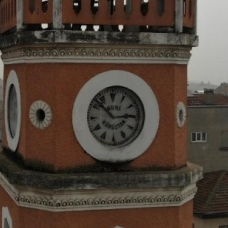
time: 2:52
